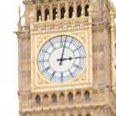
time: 3:02
